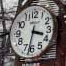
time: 3:32
